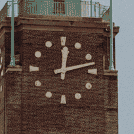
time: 12:12
